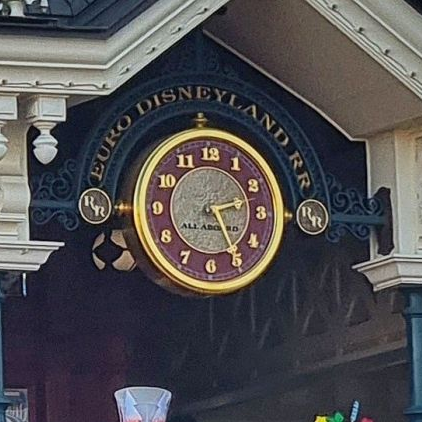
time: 2:25
